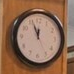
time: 11:56
